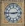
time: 2:45
